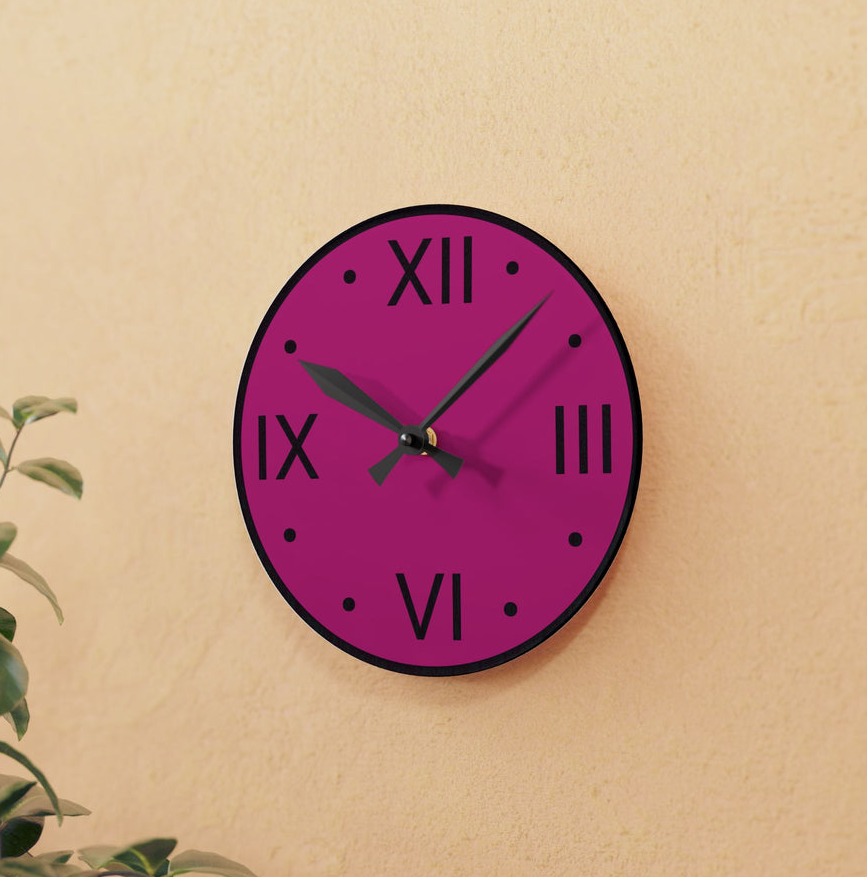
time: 10:07
